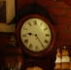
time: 9:24
